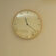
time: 11:21
